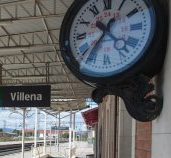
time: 10:36
